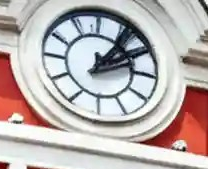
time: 2:06
